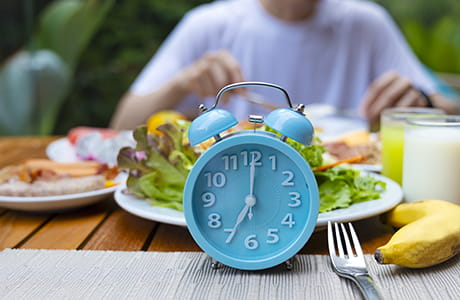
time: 7:00
